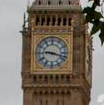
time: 9:17
